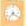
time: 7:20
